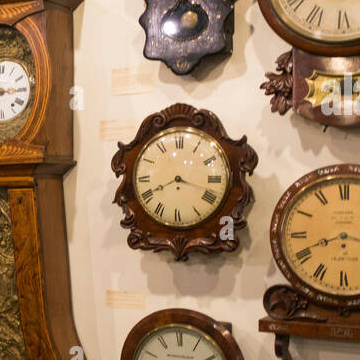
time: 3:40
